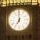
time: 7:00
